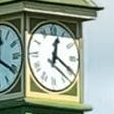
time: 12:20
